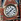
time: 1:38
